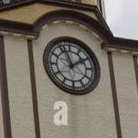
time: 1:56
